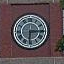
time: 6:14
